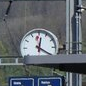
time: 12:20
